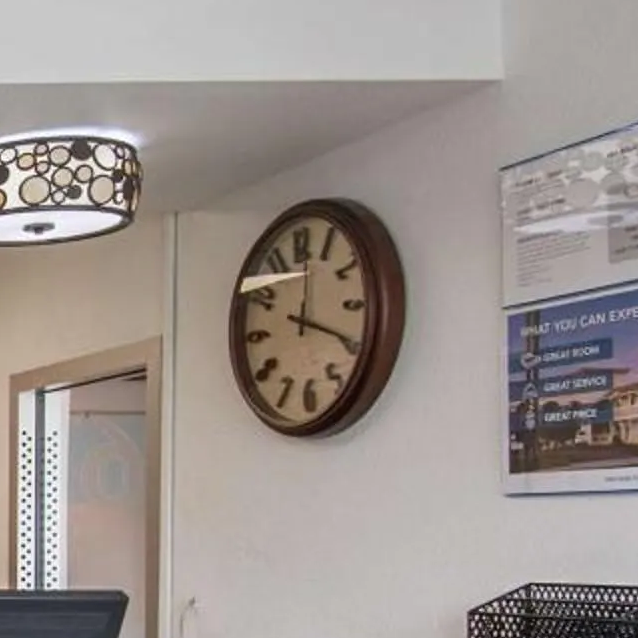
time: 12:19
